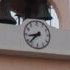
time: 8:37
